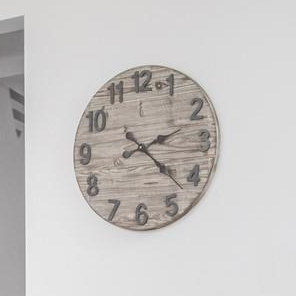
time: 2:21
